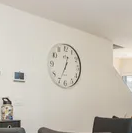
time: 12:34
